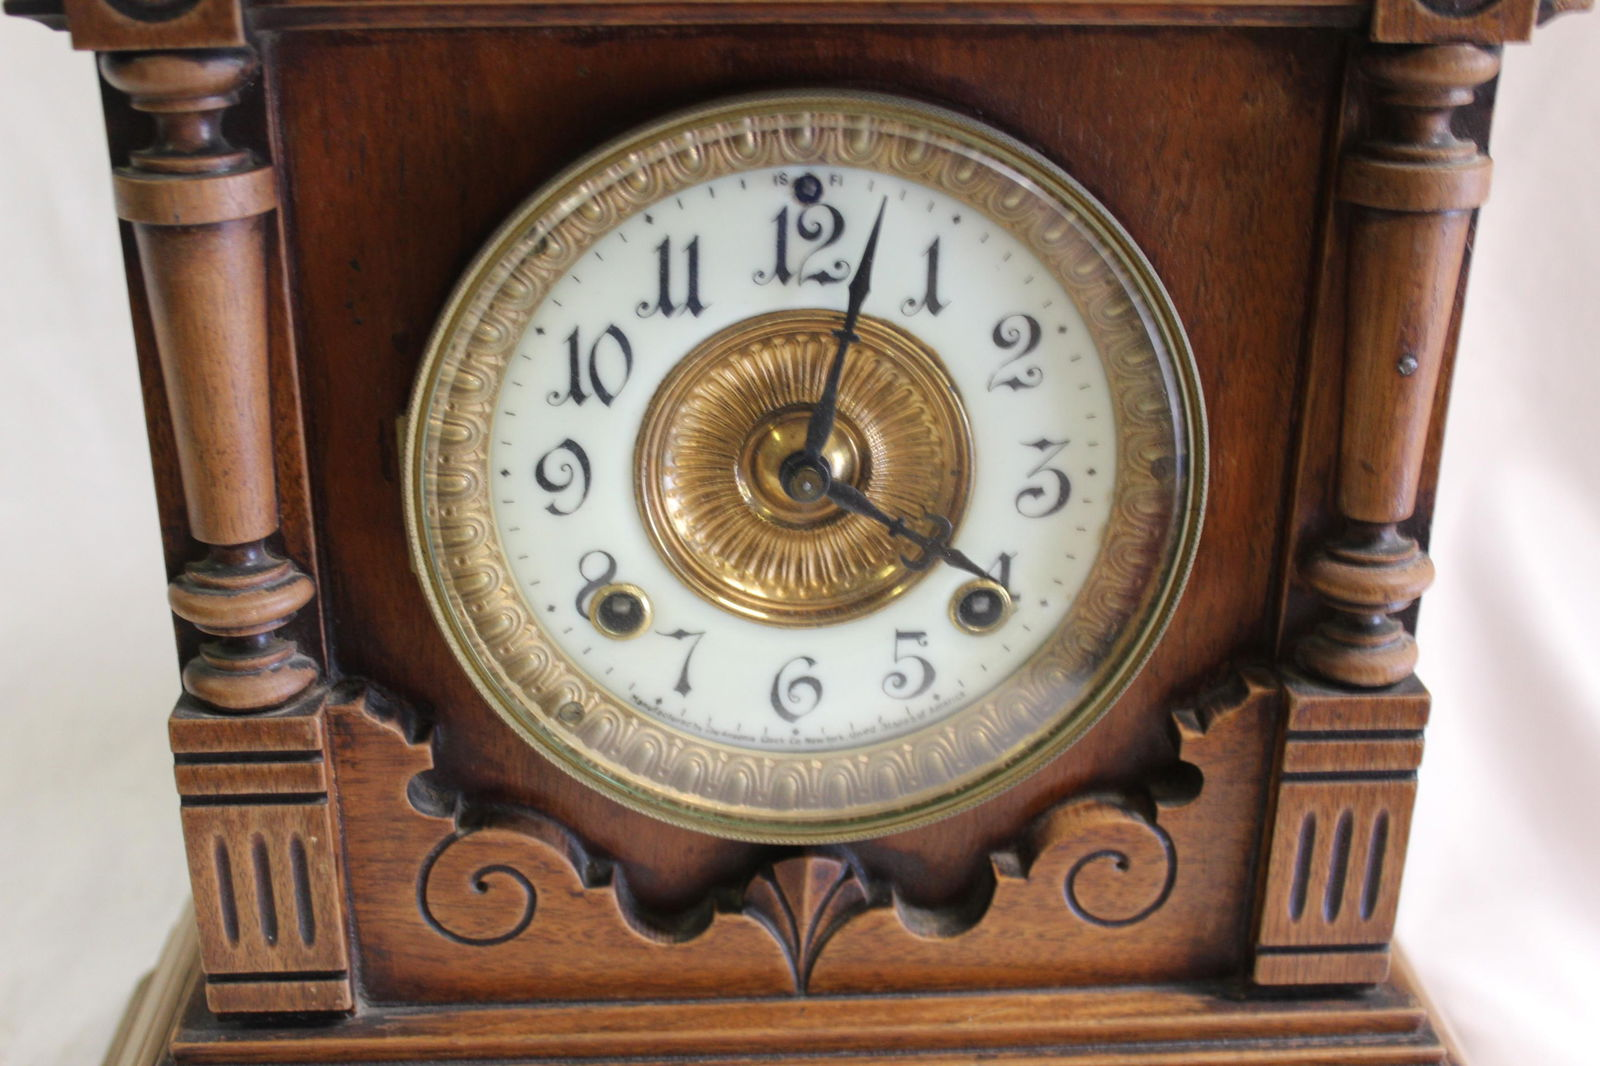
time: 4:02
